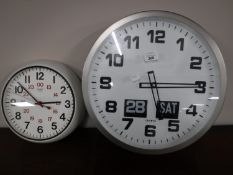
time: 5:14
